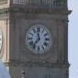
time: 11:36
